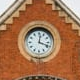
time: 12:18
